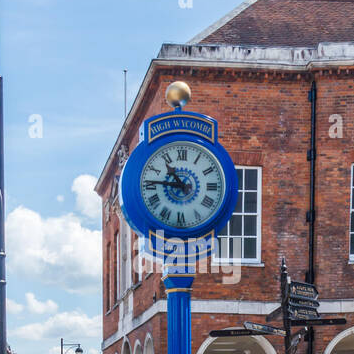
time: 10:45
